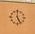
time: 4:59
